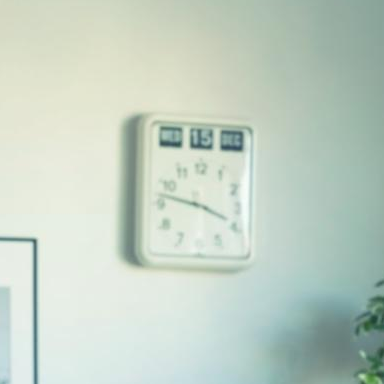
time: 3:47
